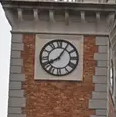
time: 8:05
